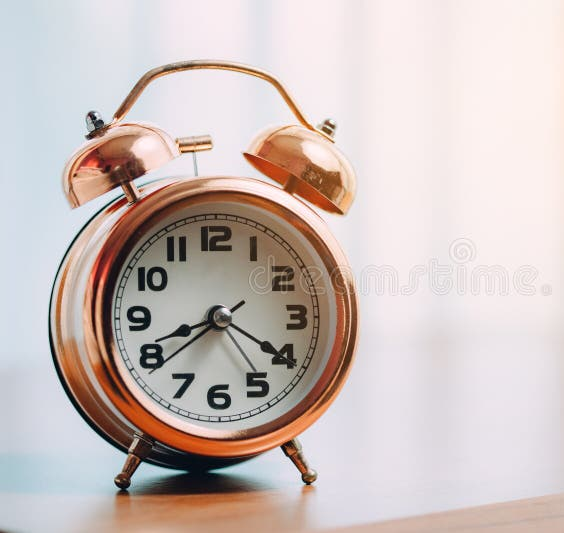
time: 8:20
